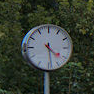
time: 4:28
